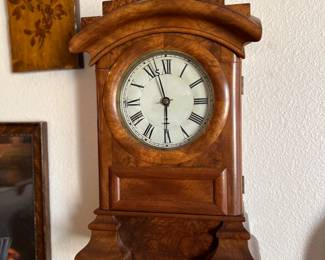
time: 5:57
